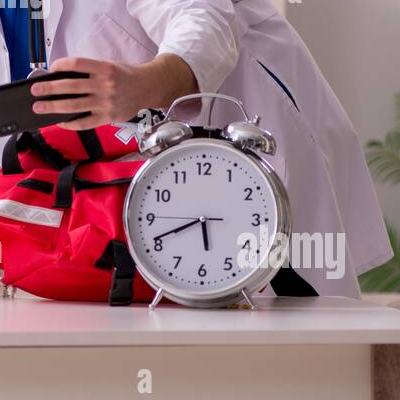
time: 5:41
